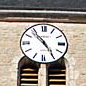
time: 4:52
